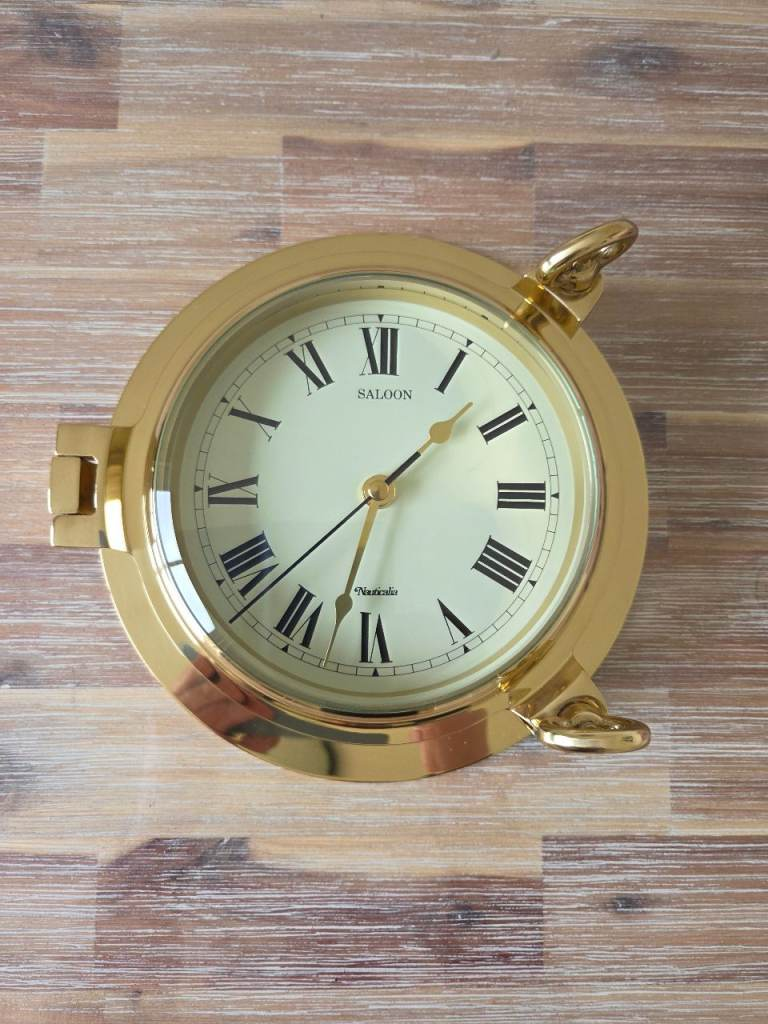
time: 1:32
